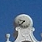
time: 9:38
